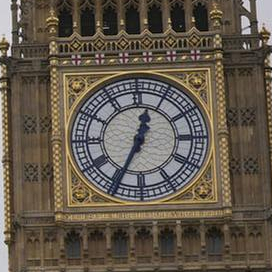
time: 12:34
